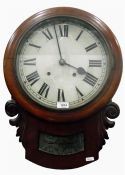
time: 3:57
